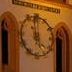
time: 4:59
